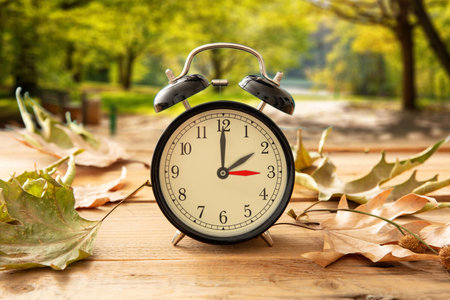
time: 2:00
